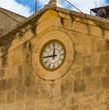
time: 11:44
